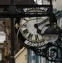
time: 5:09
